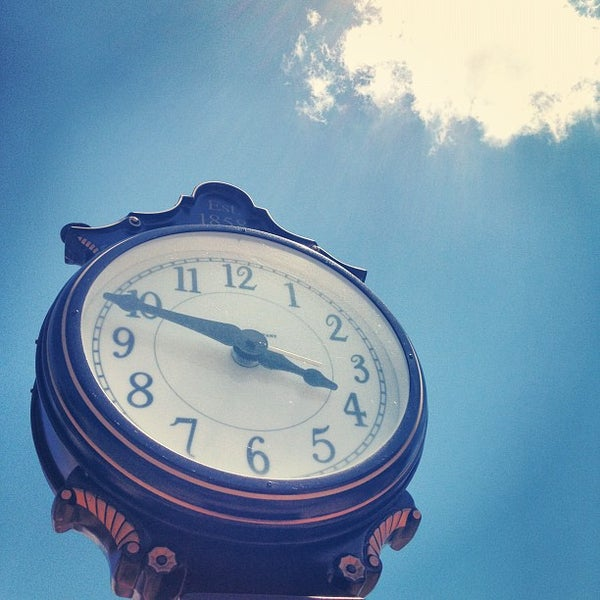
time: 3:48
